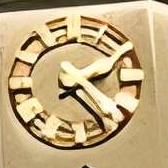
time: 2:23
